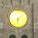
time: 6:08
